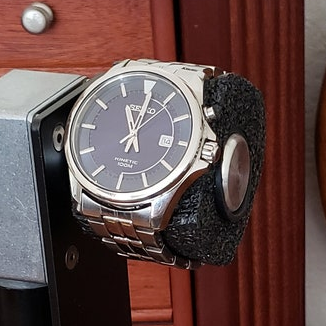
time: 11:00
